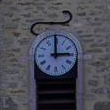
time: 2:59
